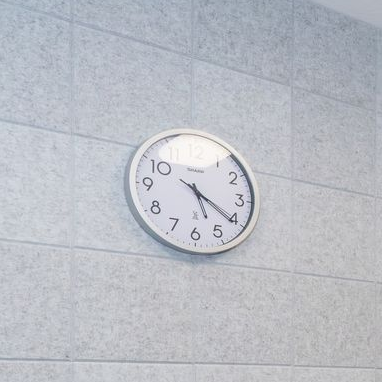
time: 5:20
